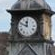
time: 11:48
